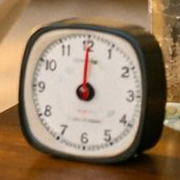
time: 12:00
